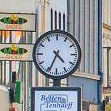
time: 4:34
